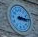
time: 3:14
